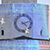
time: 4:12
